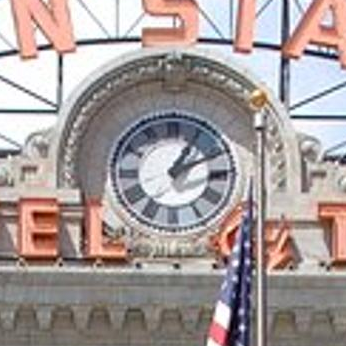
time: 1:11
